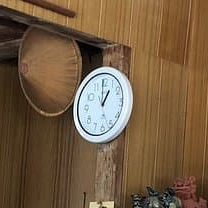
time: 12:59
